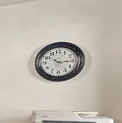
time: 10:15
